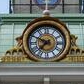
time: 7:49
